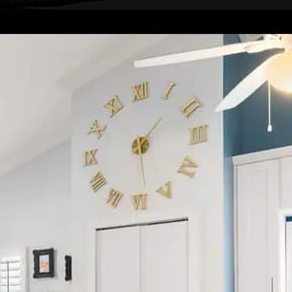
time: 1:28
